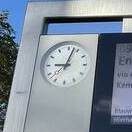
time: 9:02
